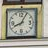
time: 8:04
